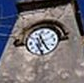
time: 11:25
